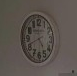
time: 4:41
